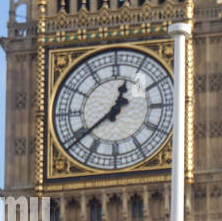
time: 12:38
